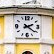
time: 2:21
